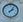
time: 2:06
